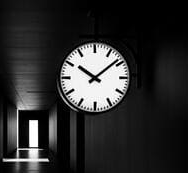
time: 10:08
